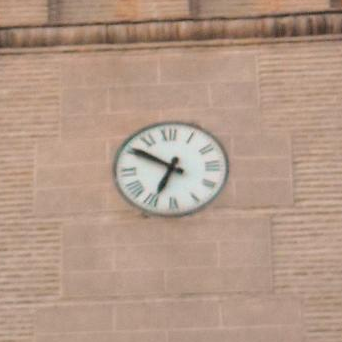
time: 6:50
